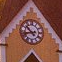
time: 4:42
